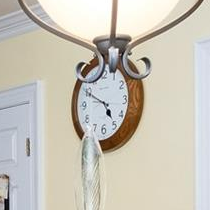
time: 4:49
